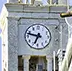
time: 6:47
